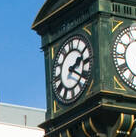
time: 2:20
